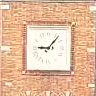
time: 9:07
